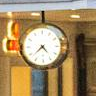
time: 4:38
